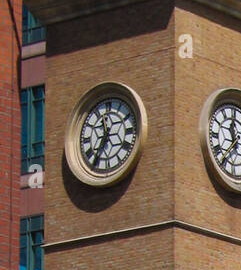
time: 11:35
